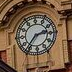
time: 2:36
